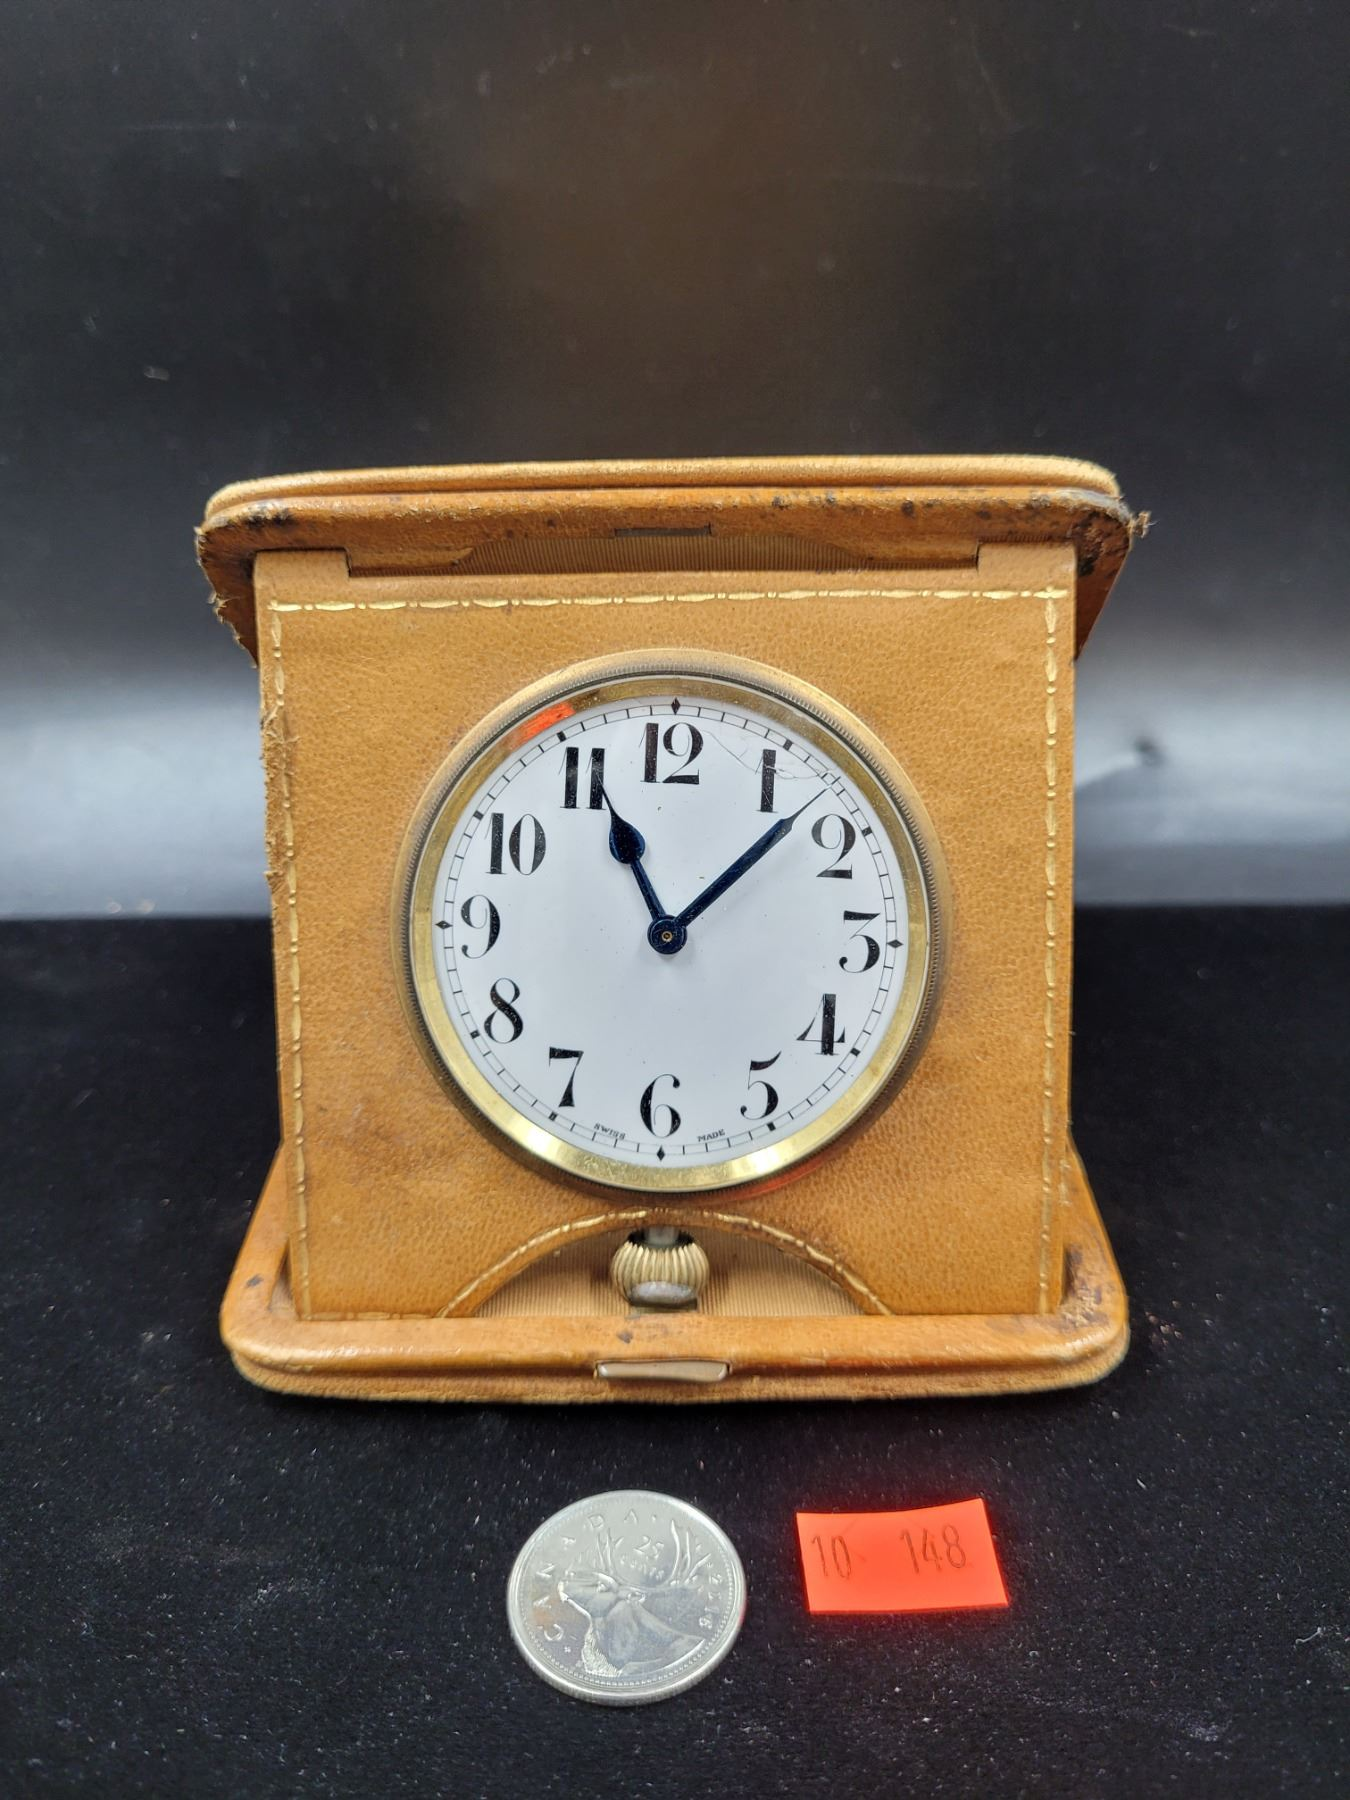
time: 11:07
